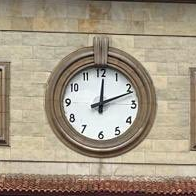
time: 12:11
